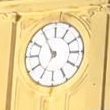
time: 6:54
